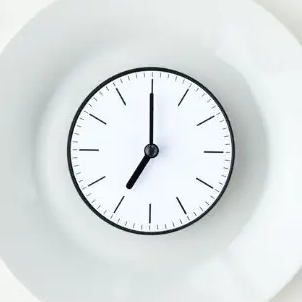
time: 7:00
